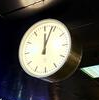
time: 12:03
